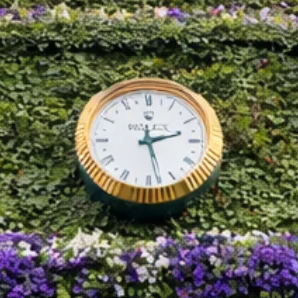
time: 2:28
